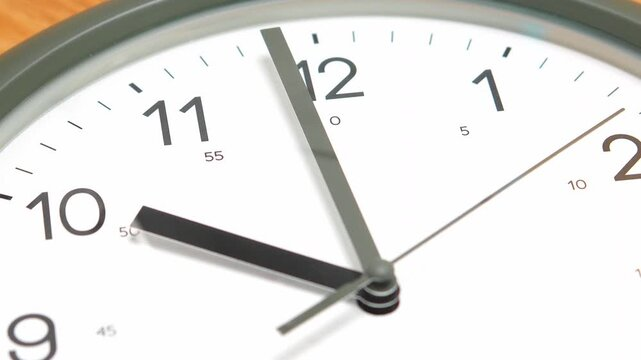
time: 9:59
